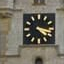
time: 4:17
